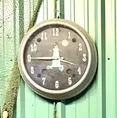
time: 11:45
